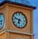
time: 6:48
